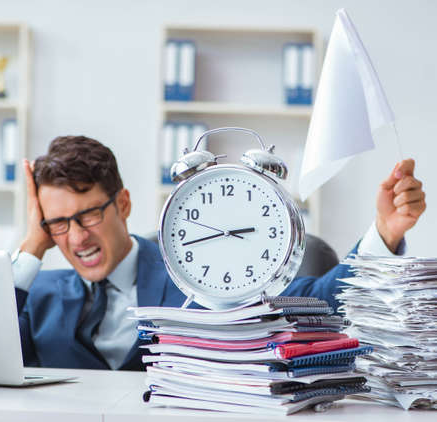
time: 2:42
